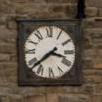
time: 3:38
